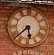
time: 5:38
